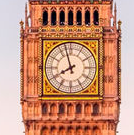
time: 7:57
